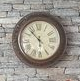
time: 5:53
